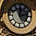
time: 12:12
